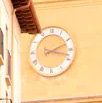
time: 2:17
